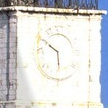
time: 5:50
